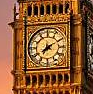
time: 7:10
